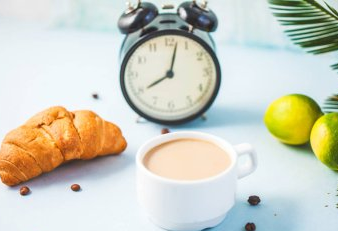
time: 8:02
